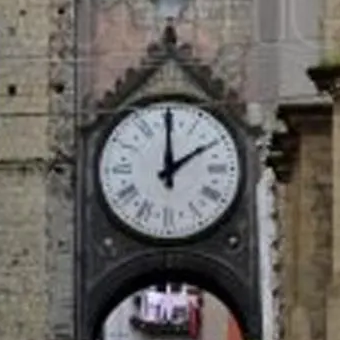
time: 2:00
